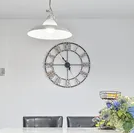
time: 10:45
